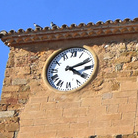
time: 4:11
